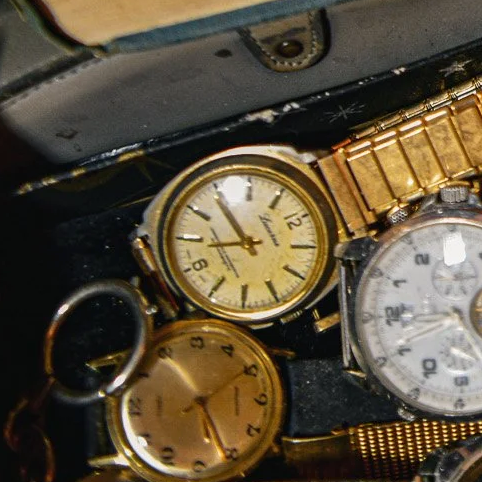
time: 10:43
